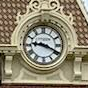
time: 9:19
